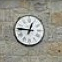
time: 12:46
